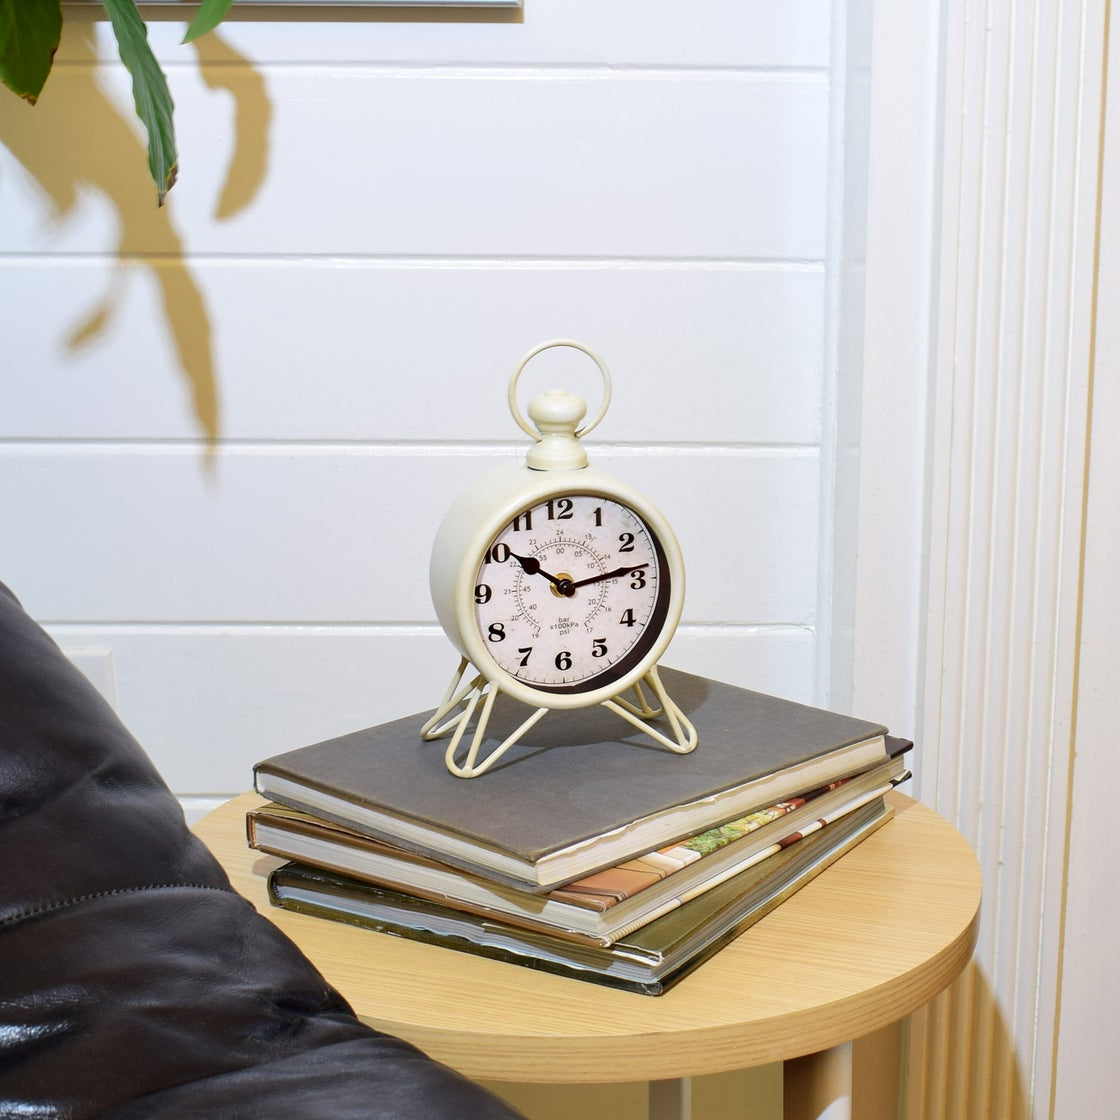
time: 10:13
